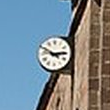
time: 2:49
